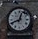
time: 12:41
